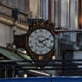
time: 2:21
